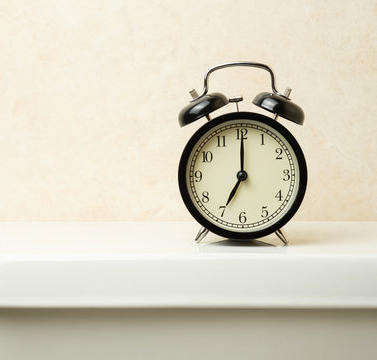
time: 7:00
